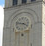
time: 3:47
